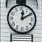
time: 12:10
